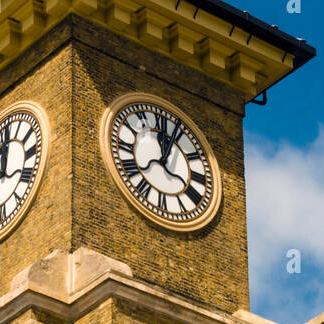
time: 12:03
